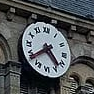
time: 4:38
